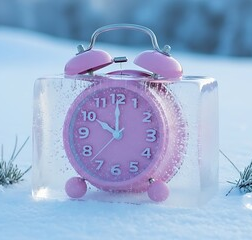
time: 10:00
